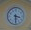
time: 3:30
